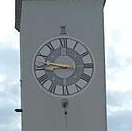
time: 8:46
